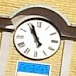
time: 10:56
